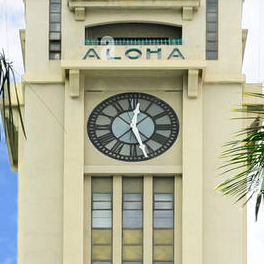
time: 12:26
